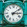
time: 3:09
